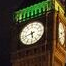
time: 5:42
